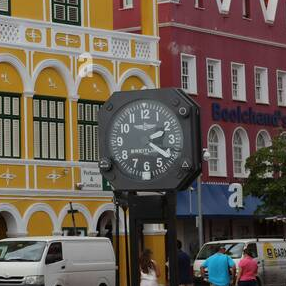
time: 2:21
